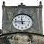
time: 11:46
